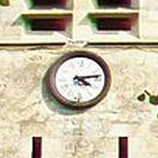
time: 4:13
